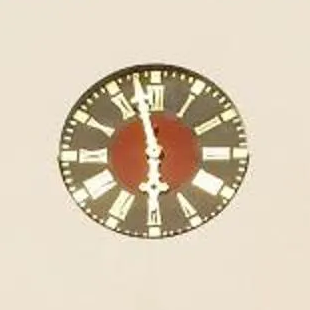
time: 5:57
